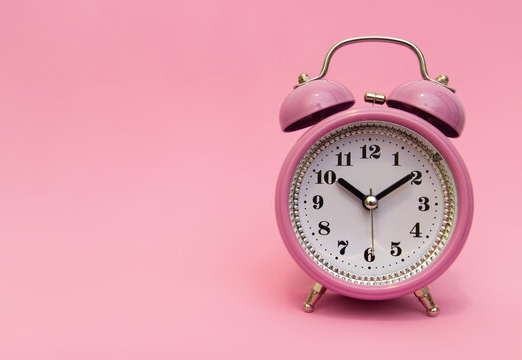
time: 10:09
